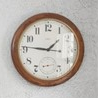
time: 1:46
